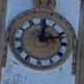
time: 12:12
